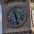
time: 11:28
